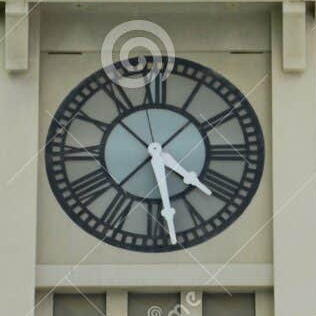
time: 4:28
